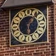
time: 6:06
